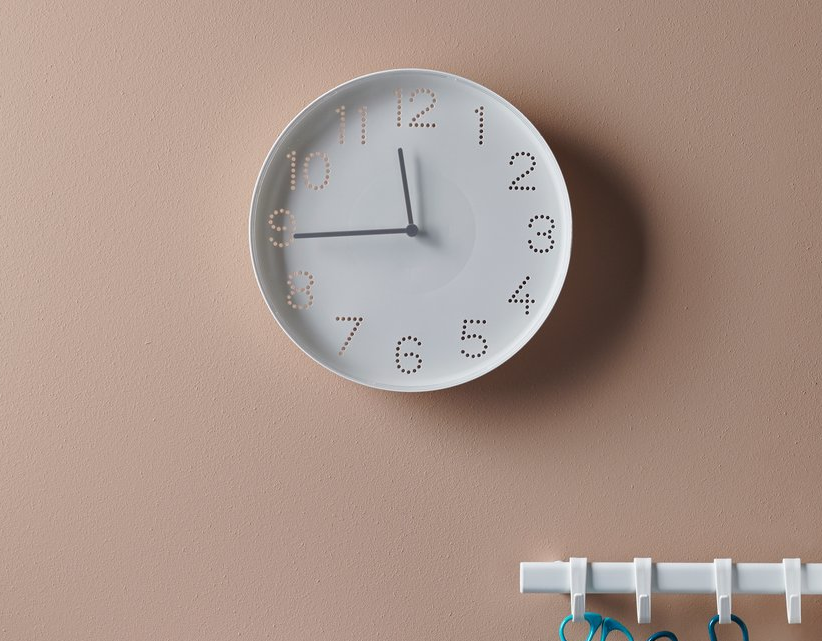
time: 11:44
